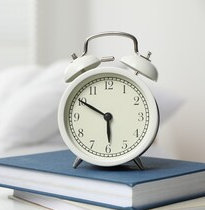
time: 5:50
